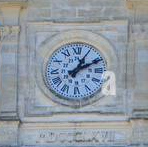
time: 1:10
